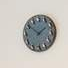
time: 1:50
